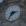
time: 2:36
